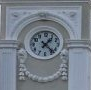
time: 1:22
